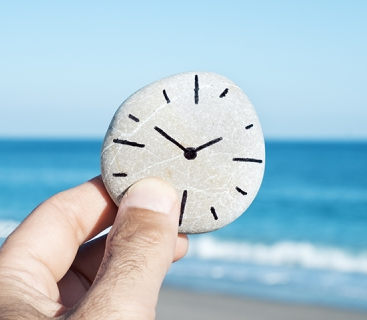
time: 1:50
